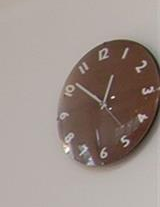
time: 12:51
